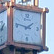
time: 1:46
